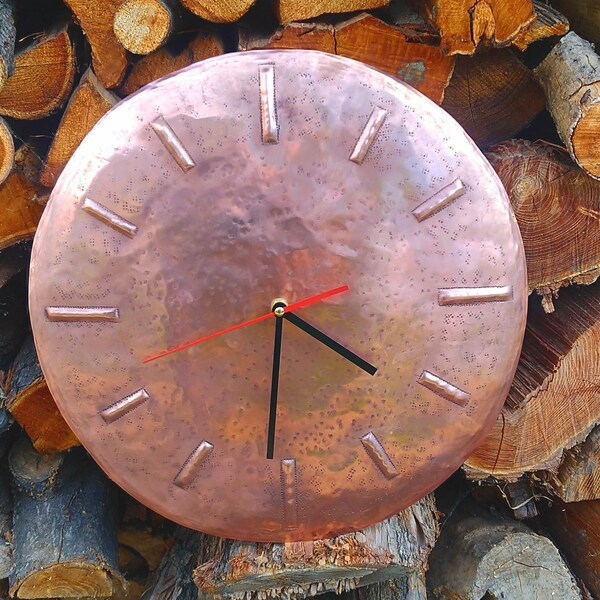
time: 4:31
